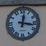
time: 12:16
